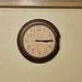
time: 3:14
